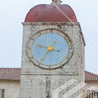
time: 9:35
